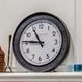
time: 10:45
